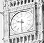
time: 9:30
